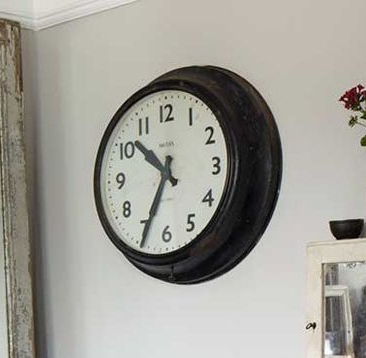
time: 10:34
